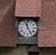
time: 11:24
